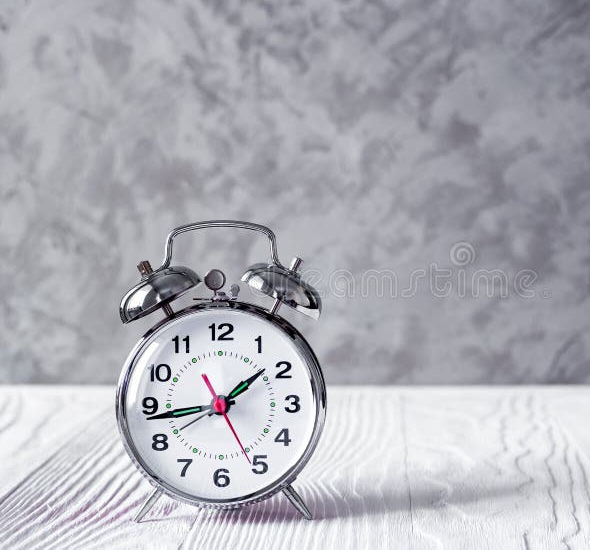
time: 1:43
